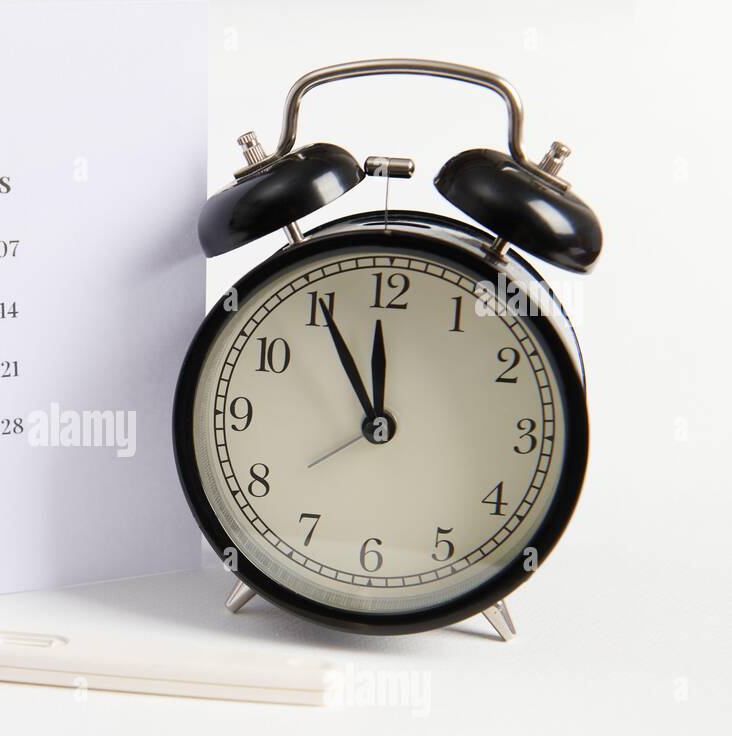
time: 11:55
